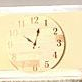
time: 10:02
